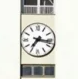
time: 7:16
